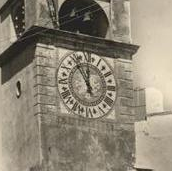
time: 11:55
